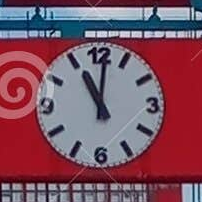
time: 11:01
